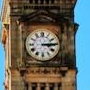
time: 3:14
